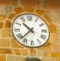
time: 10:37
